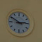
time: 2:50
